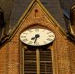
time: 7:32
